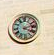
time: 4:12
